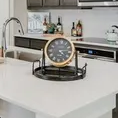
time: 4:14
